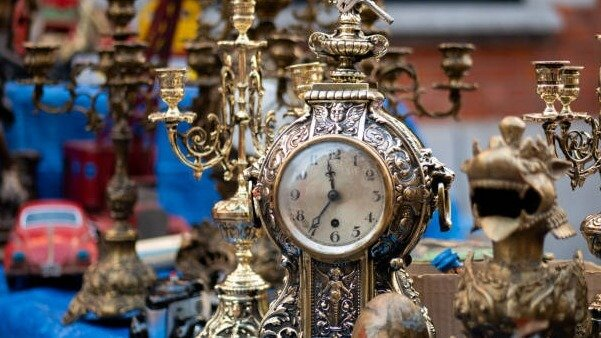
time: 11:34
